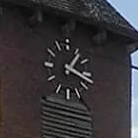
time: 1:17
